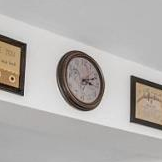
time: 3:11
